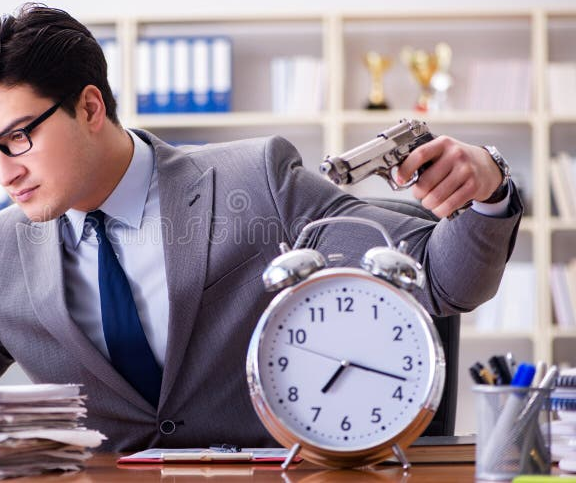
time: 7:17
